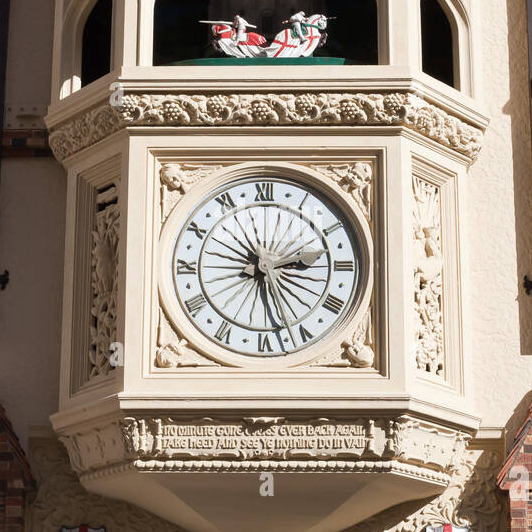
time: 2:27
